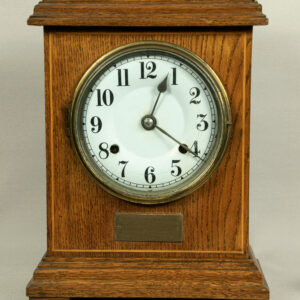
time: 4:04
